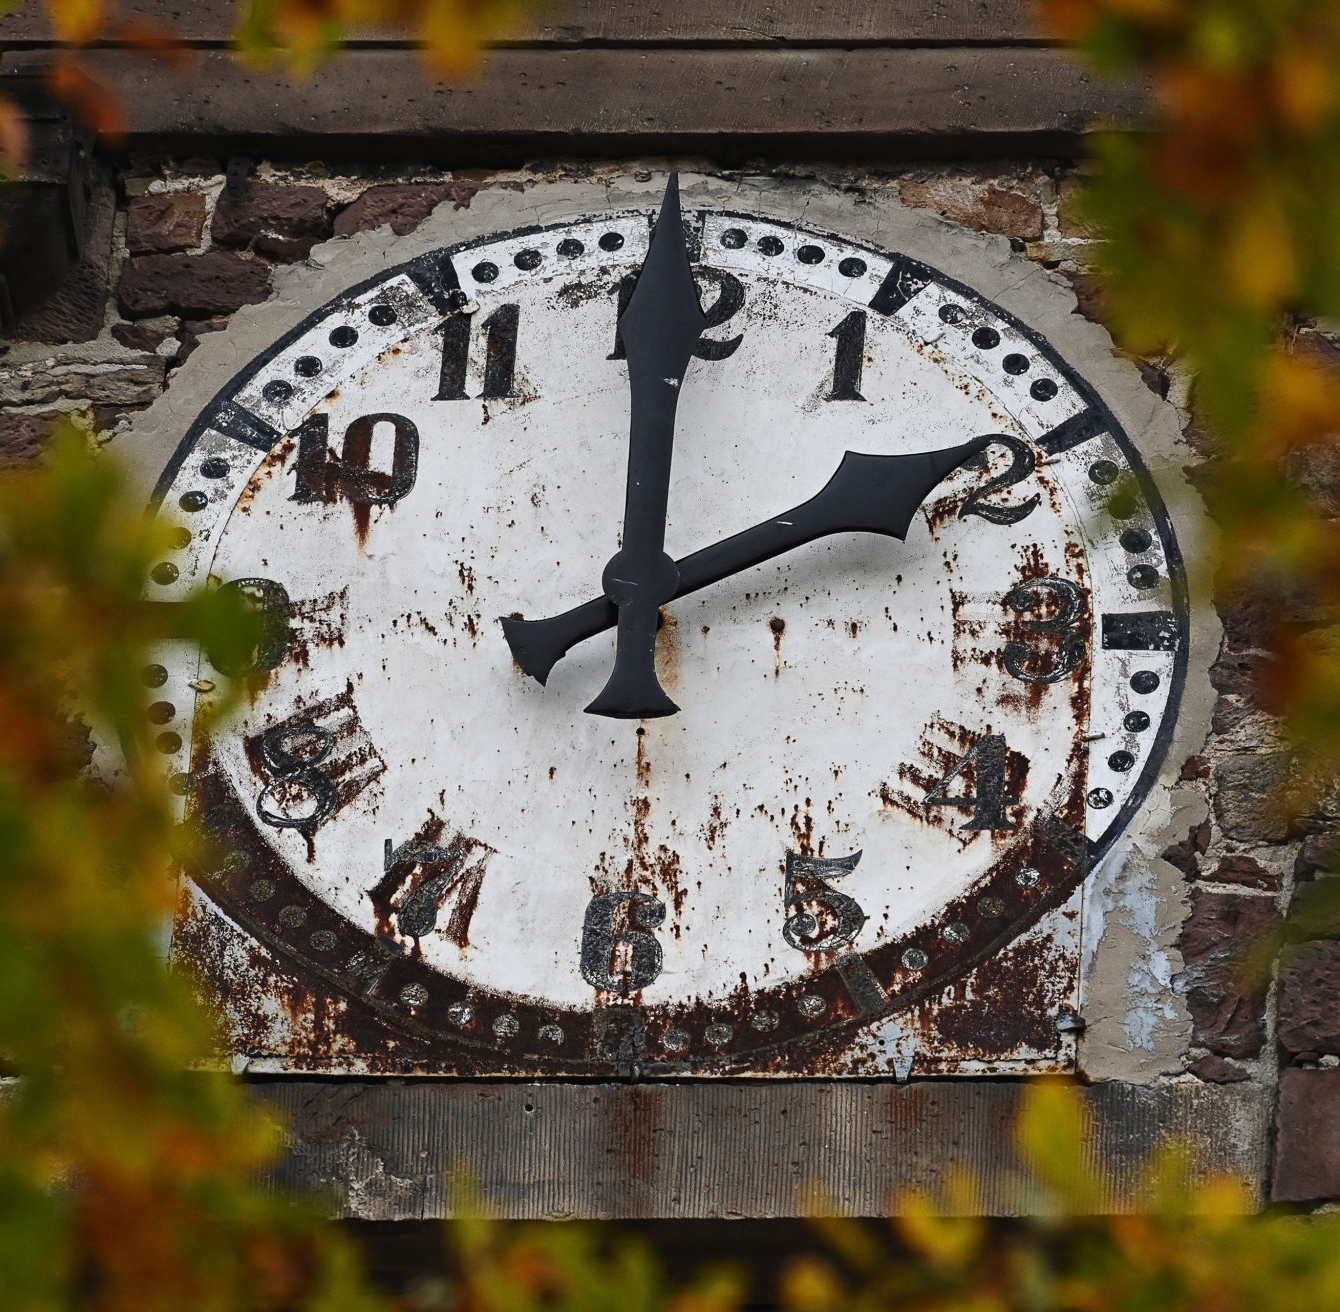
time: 2:00
